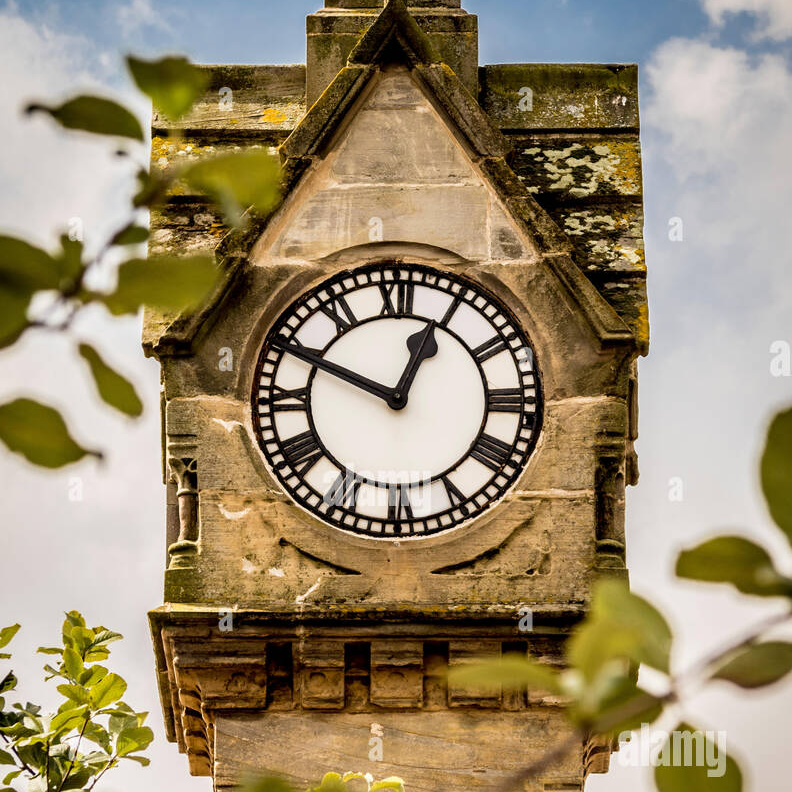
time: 12:49
